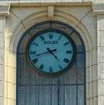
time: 4:42
